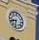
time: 8:32
